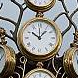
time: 10:07
